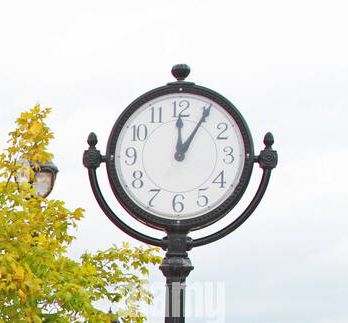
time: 12:05
